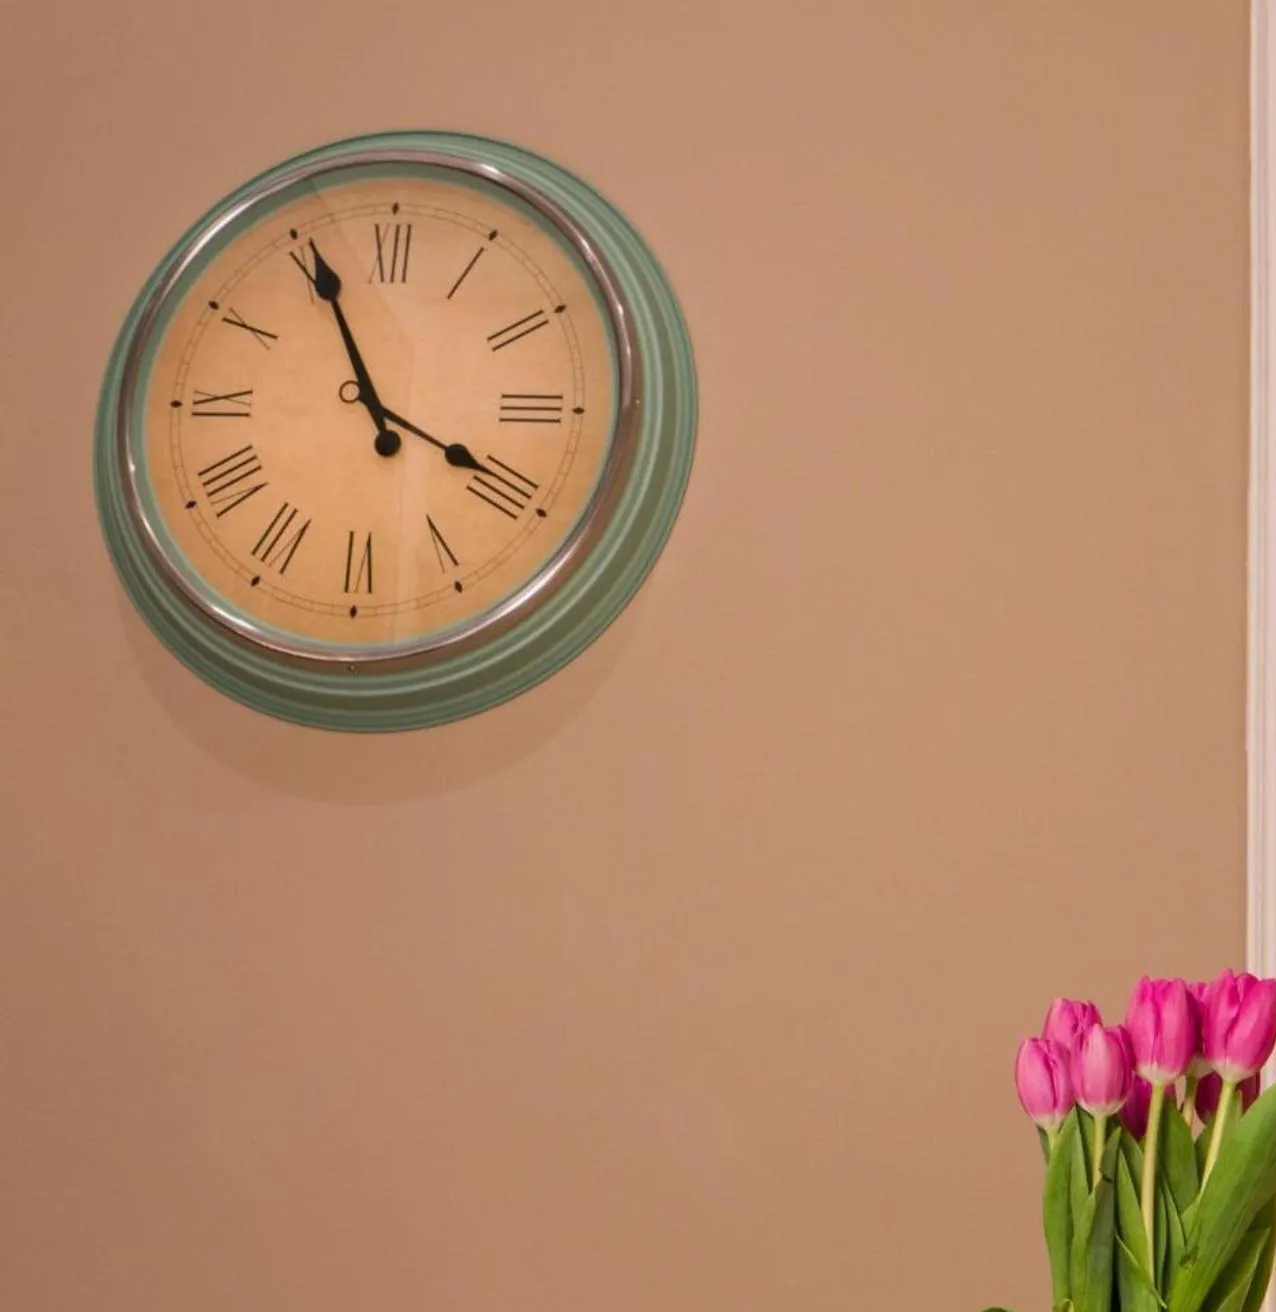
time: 3:55
